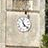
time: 11:22
